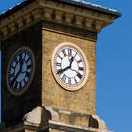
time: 12:40
